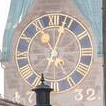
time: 11:03
